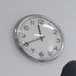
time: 11:40
